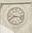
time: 8:16
